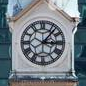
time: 3:06
